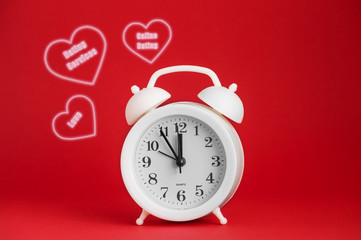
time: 11:54
